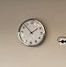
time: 1:52
